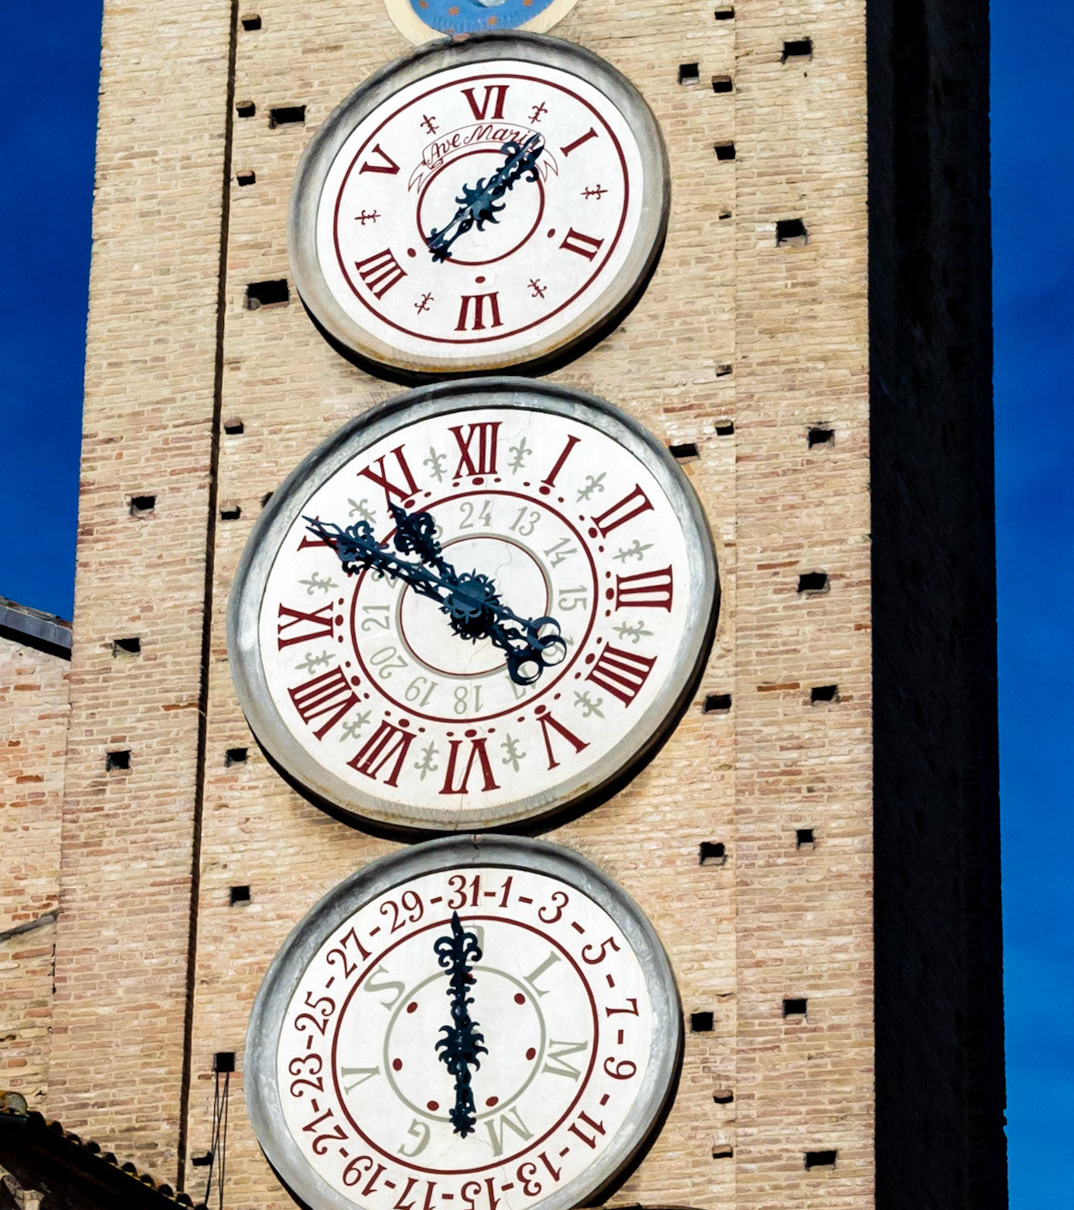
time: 10:50
